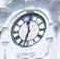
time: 11:32
